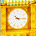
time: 10:14
